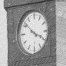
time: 3:51
